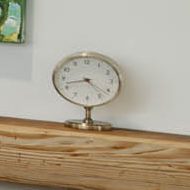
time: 8:22
